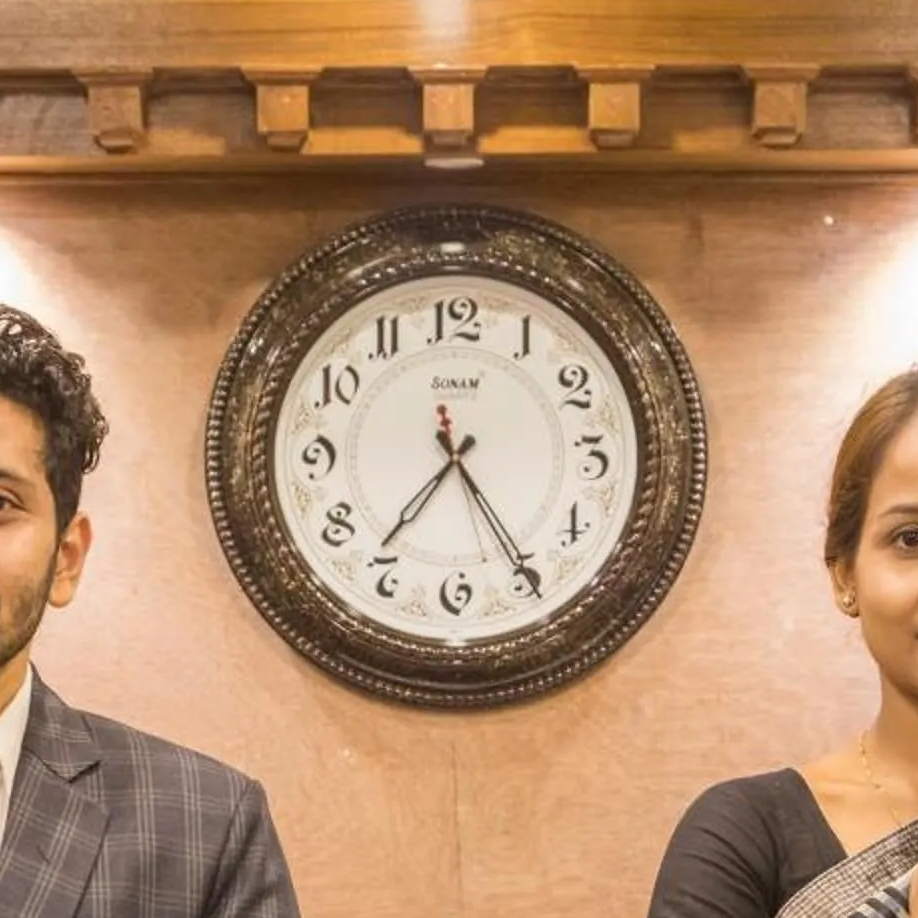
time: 7:24
